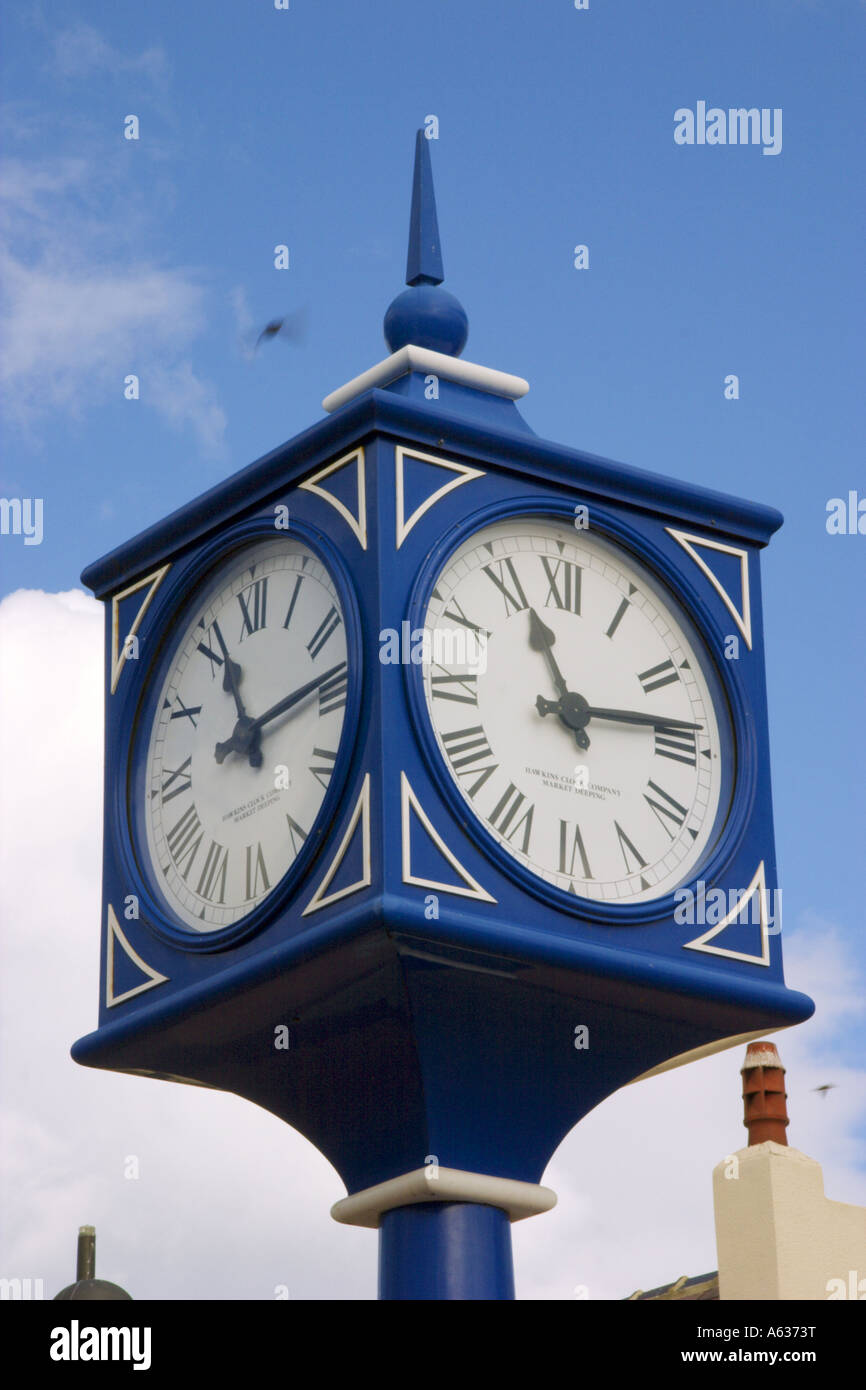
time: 11:13
